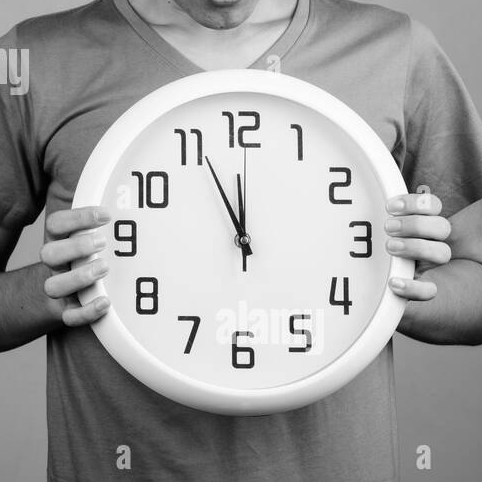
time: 11:55
